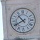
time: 10:40
